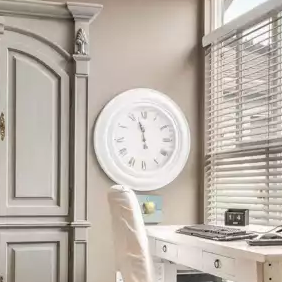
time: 11:57
